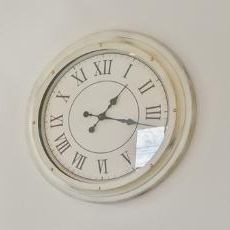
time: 1:17
